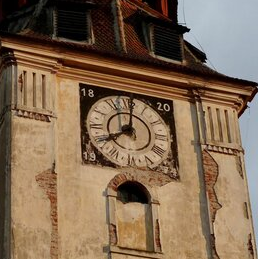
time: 8:01
